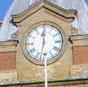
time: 11:32
